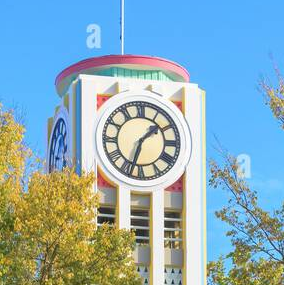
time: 1:33
